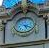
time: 5:18
